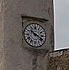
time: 10:19
